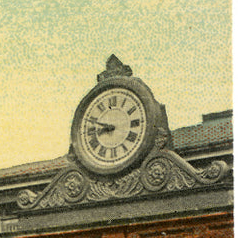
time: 8:48
